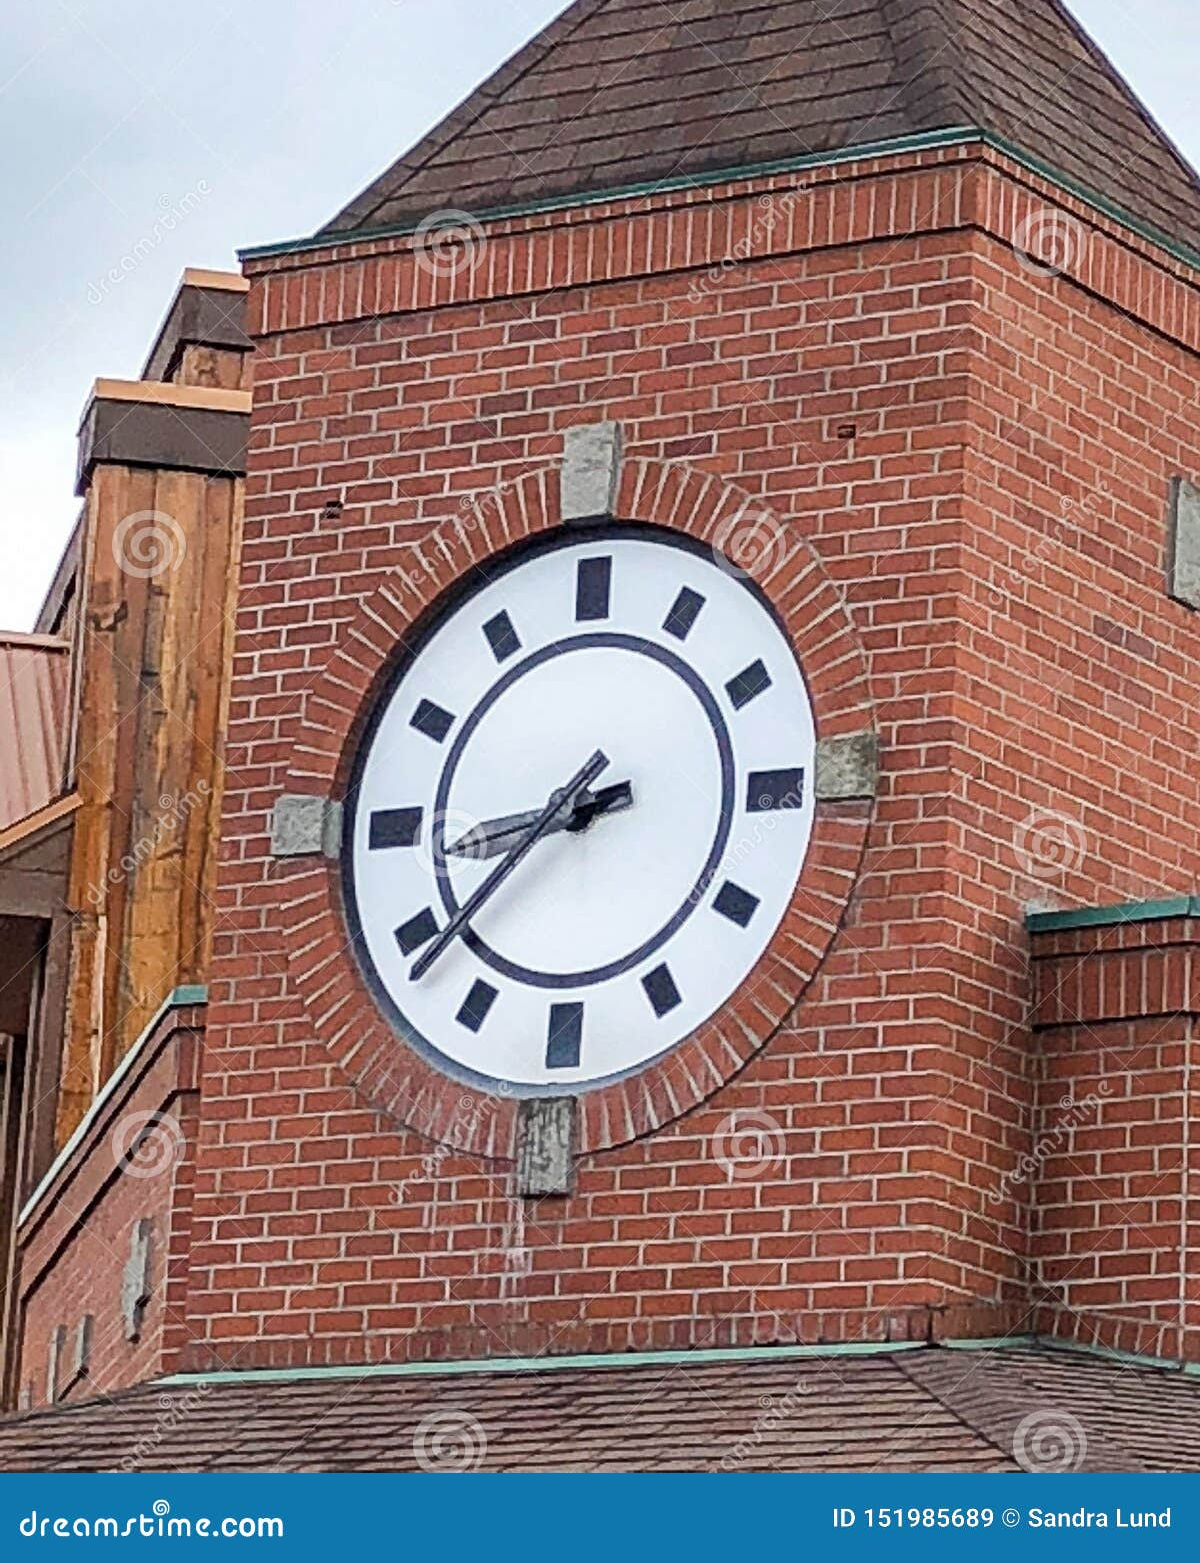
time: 8:38
